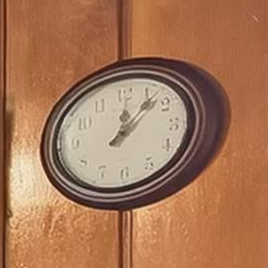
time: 12:06
